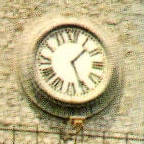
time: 1:26
